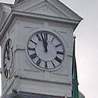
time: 11:57
